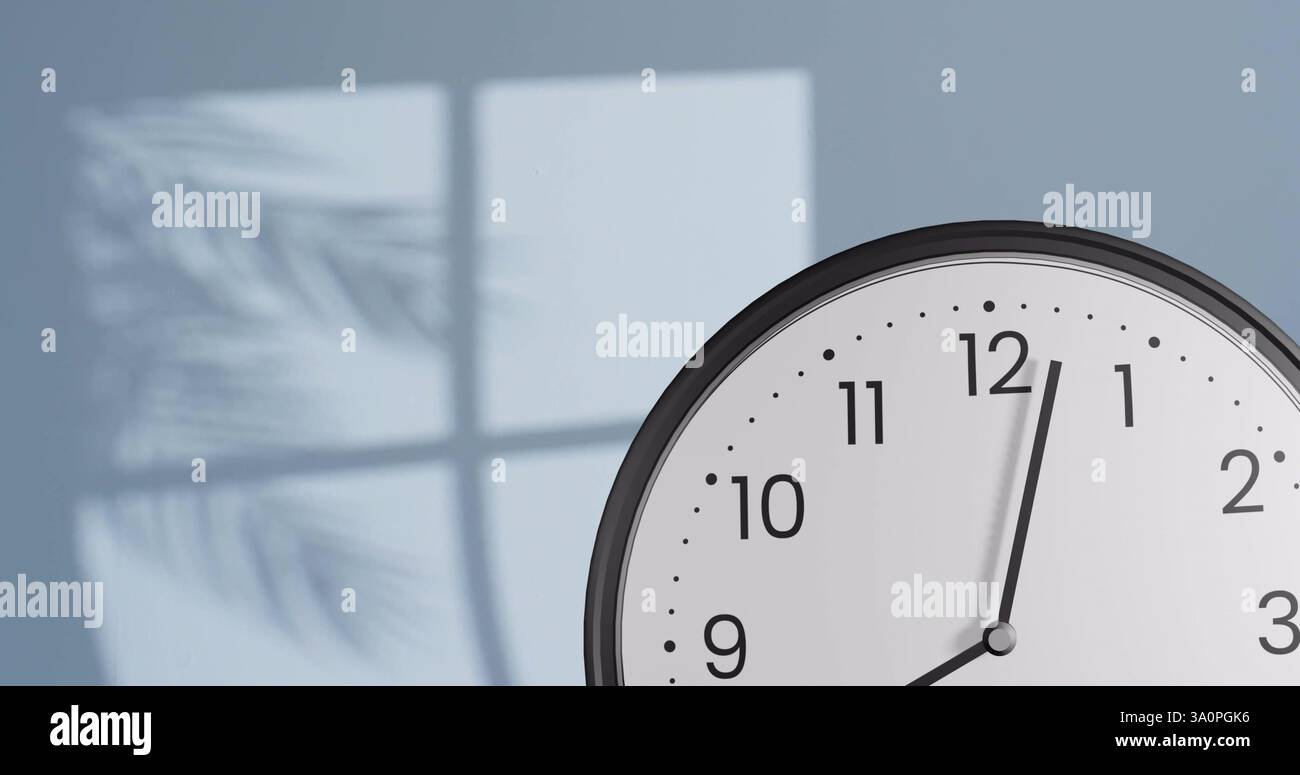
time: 8:02
